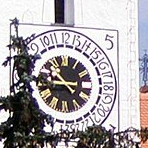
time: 10:45
